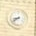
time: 8:38
